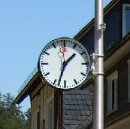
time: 1:33
